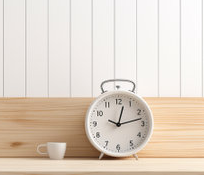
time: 12:12
